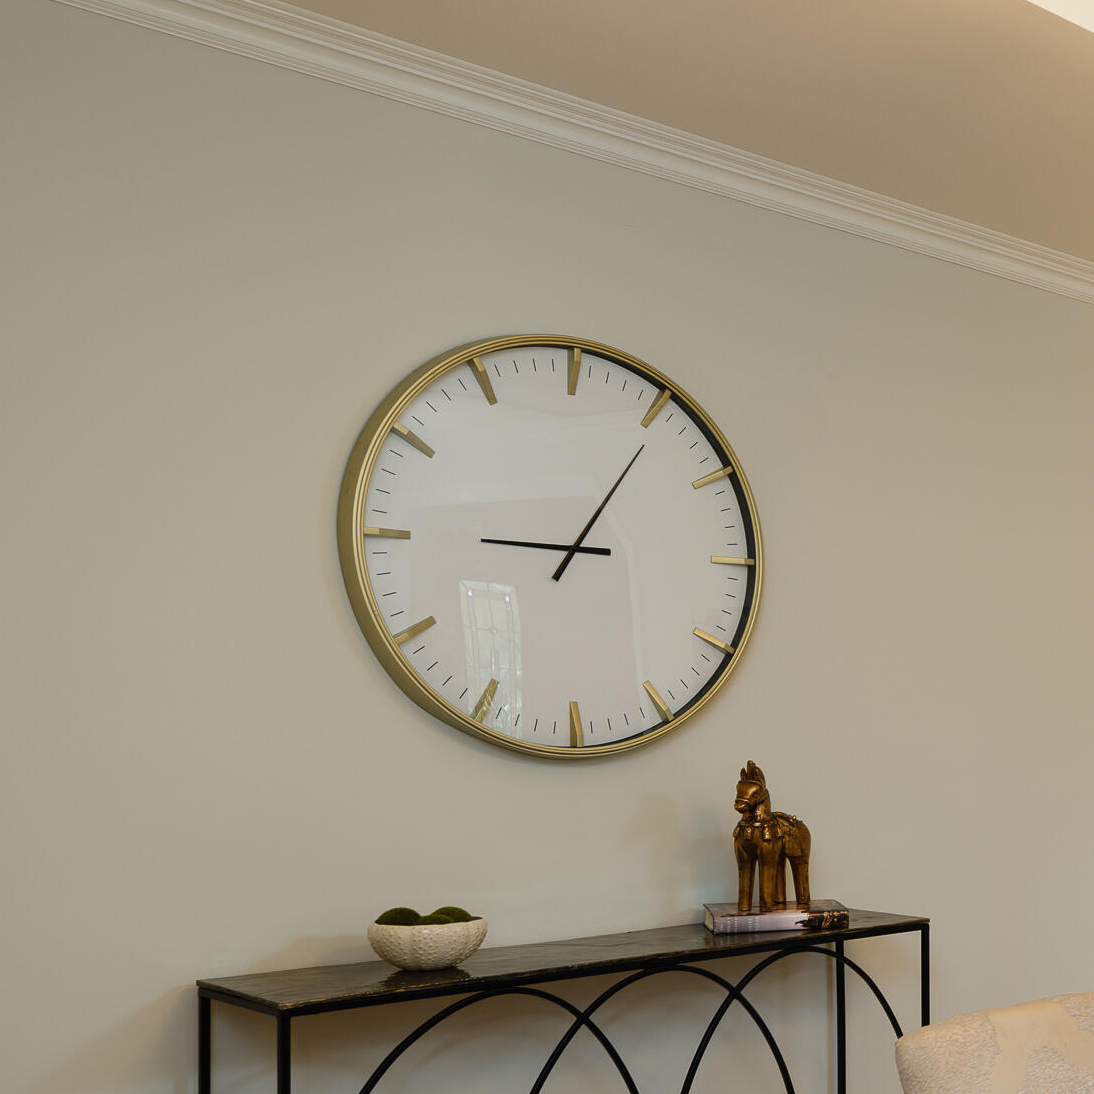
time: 9:05
